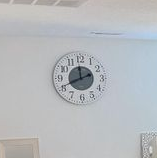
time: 11:41
